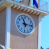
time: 11:14
